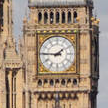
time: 1:45
